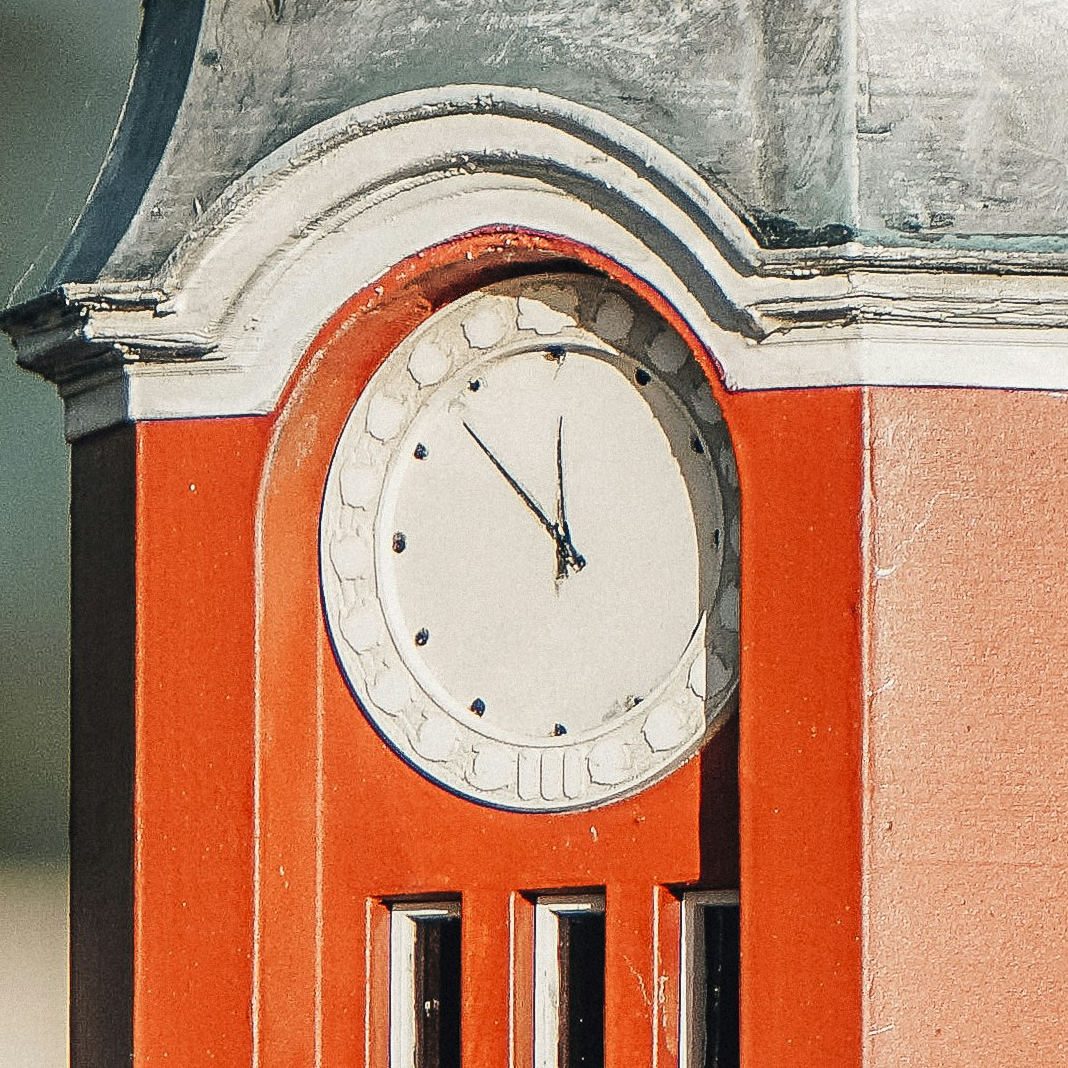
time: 11:52
